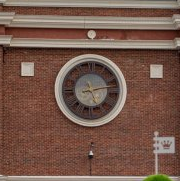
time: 5:12
